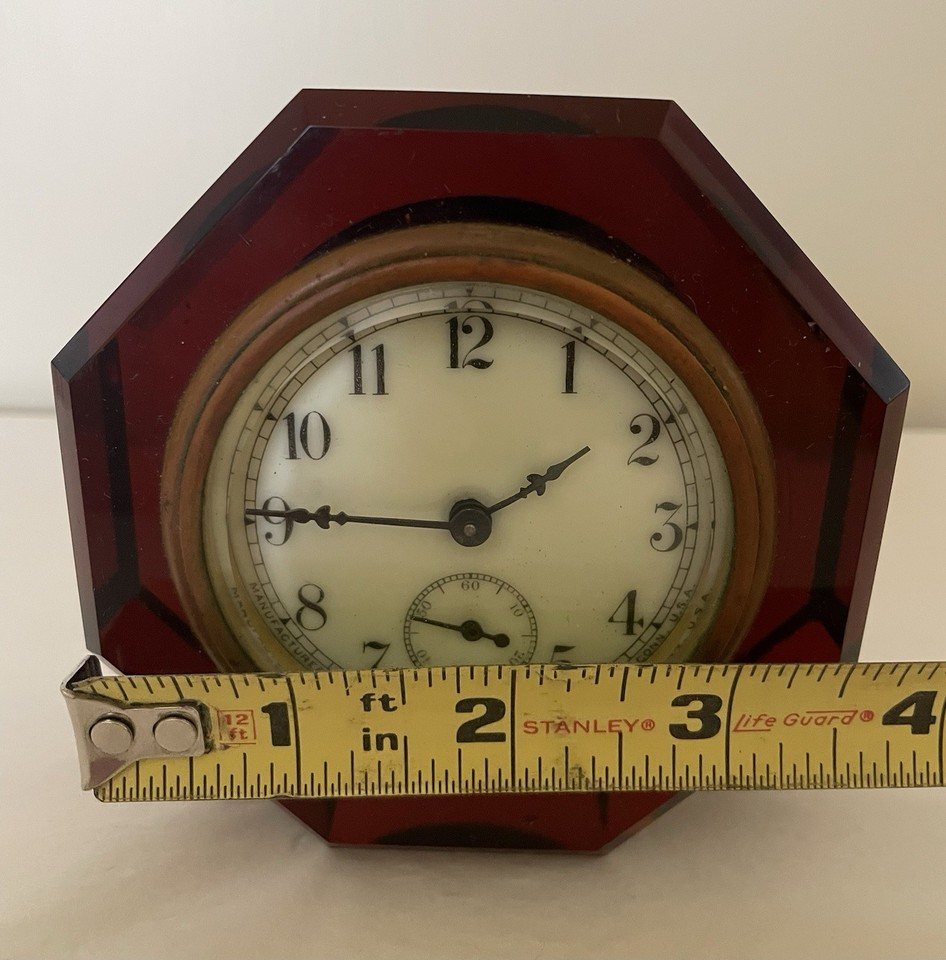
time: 1:45
